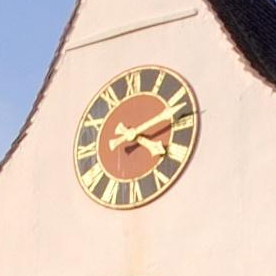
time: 2:11
